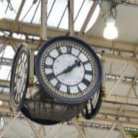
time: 1:39
